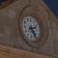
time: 2:24
